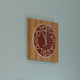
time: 11:02
